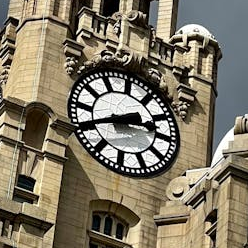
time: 2:40
